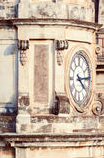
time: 4:14
